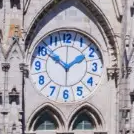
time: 1:50
